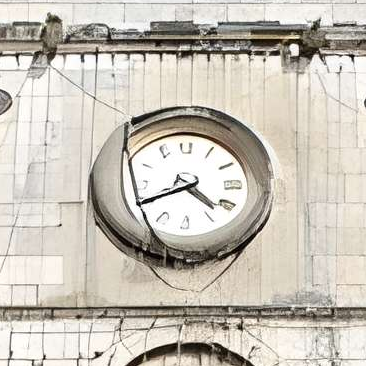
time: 4:40
